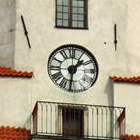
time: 1:31
